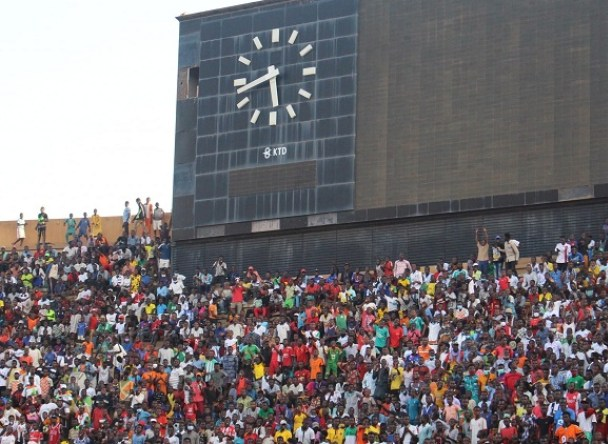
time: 5:42
